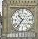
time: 10:36
